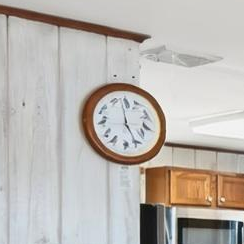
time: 4:59
